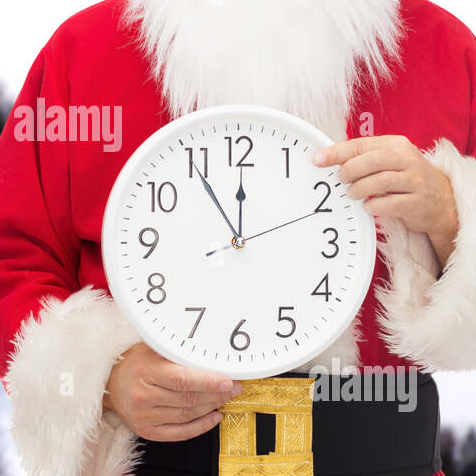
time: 11:54
